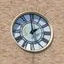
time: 1:59
